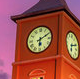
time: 6:10
